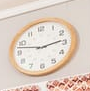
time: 2:47
